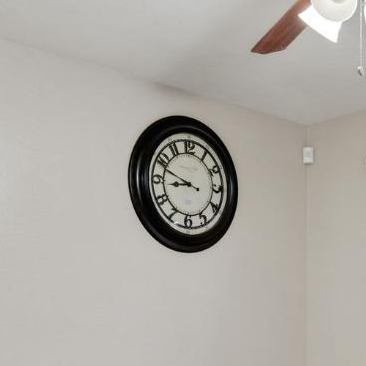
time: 8:48
